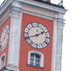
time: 1:41
